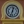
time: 12:33
